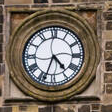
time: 4:33
